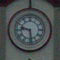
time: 9:28
